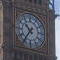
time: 10:36
